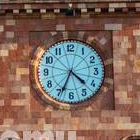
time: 4:34
